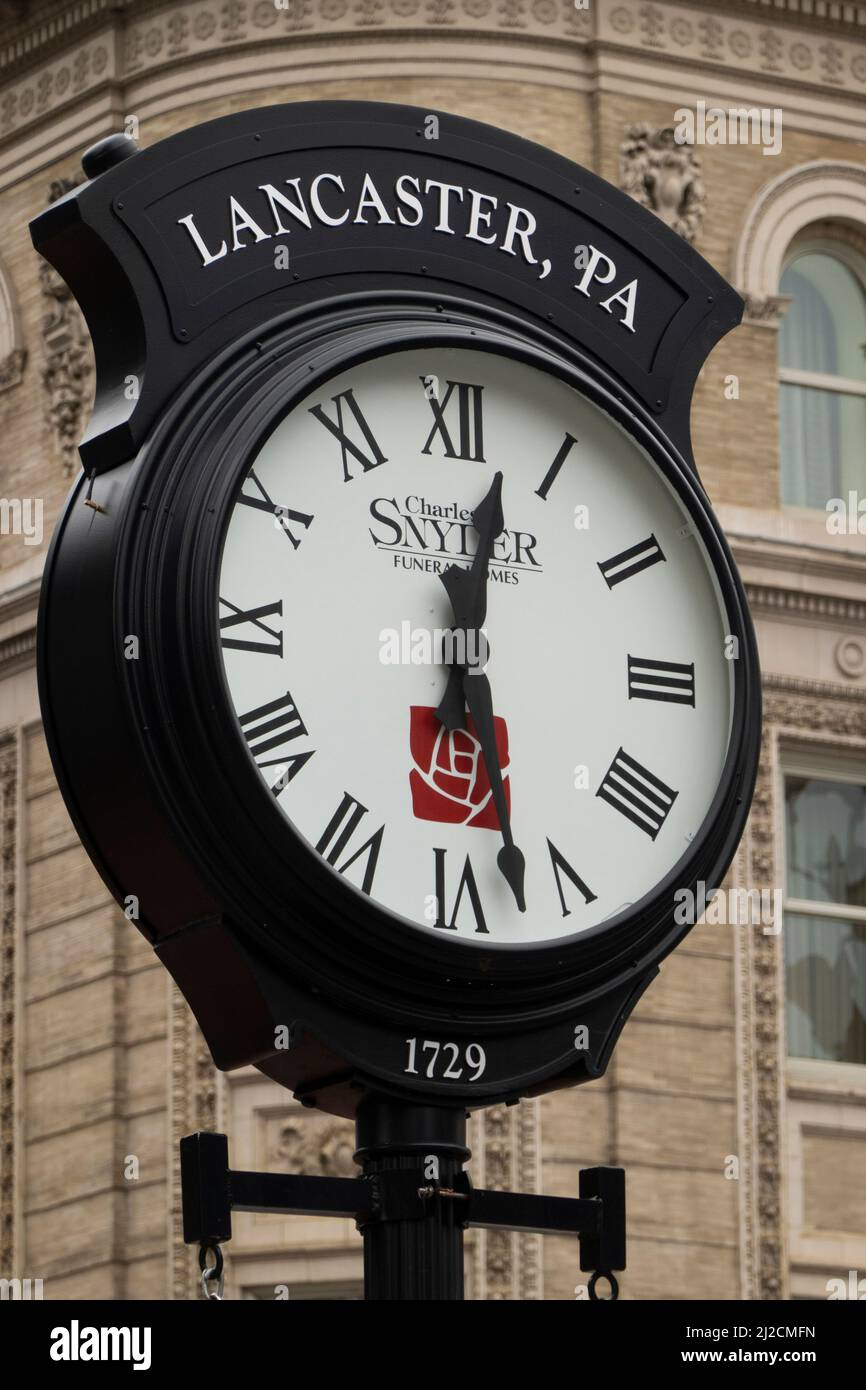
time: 12:27
